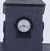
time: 3:42
